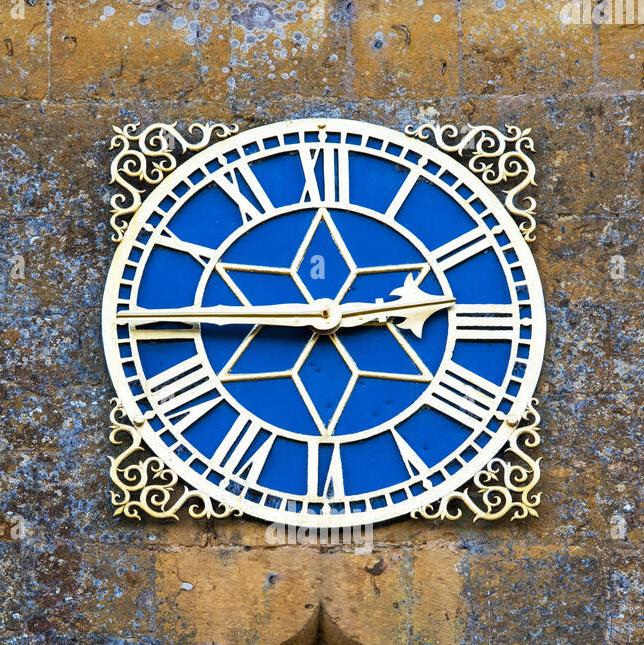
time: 2:44
